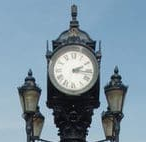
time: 2:16
